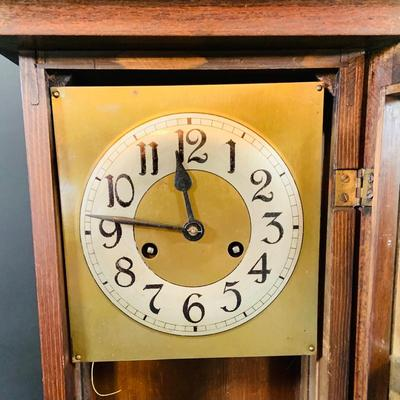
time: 11:46
